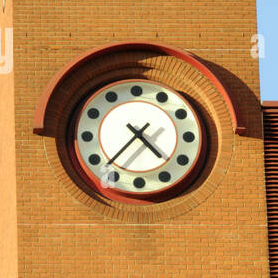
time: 4:37
